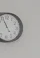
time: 4:55
